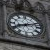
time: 8:12
